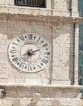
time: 7:11
